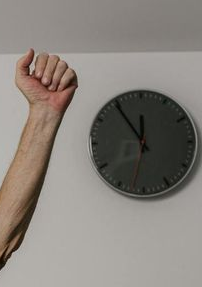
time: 11:54
